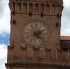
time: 2:21
